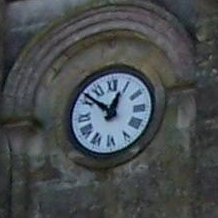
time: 12:51
